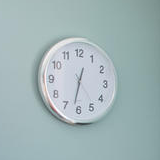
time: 12:32
